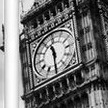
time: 11:30
